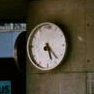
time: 5:22
